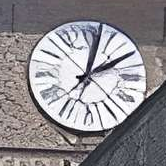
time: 2:02
